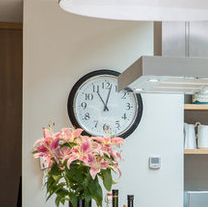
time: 11:03
